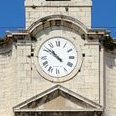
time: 10:51
